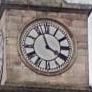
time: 3:56
